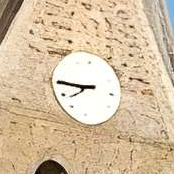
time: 7:44
